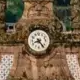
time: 8:23
